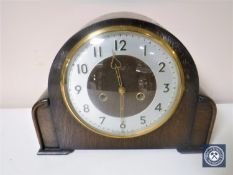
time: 11:30
